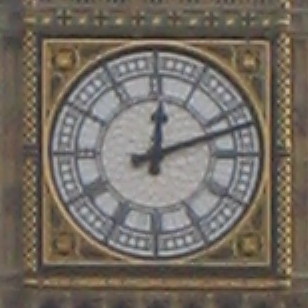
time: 12:11
